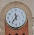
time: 11:36
